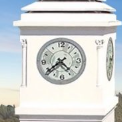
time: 4:39
